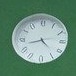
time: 4:42
